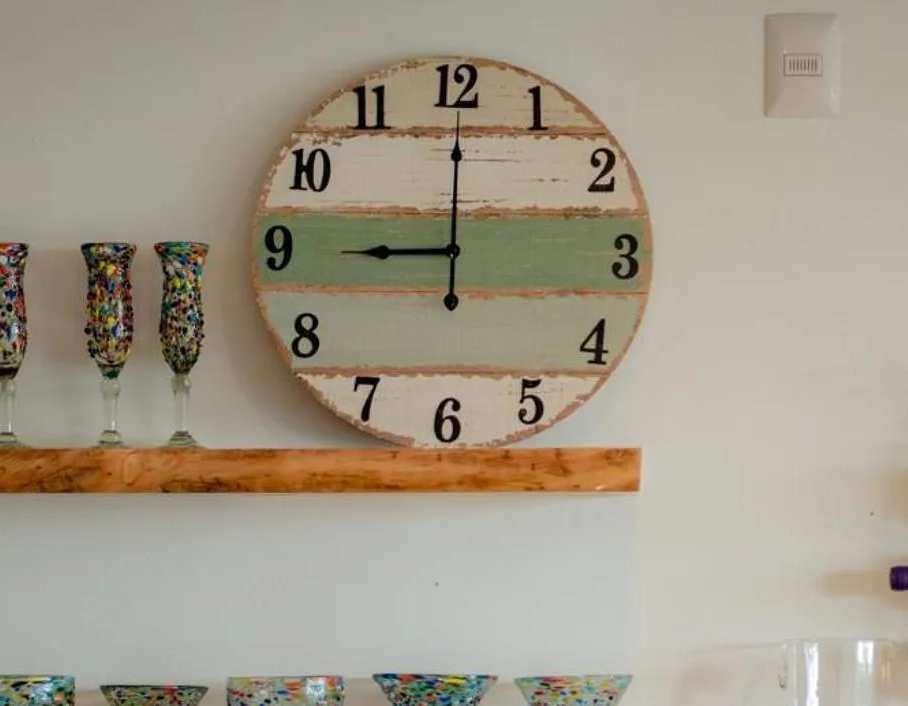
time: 9:00
